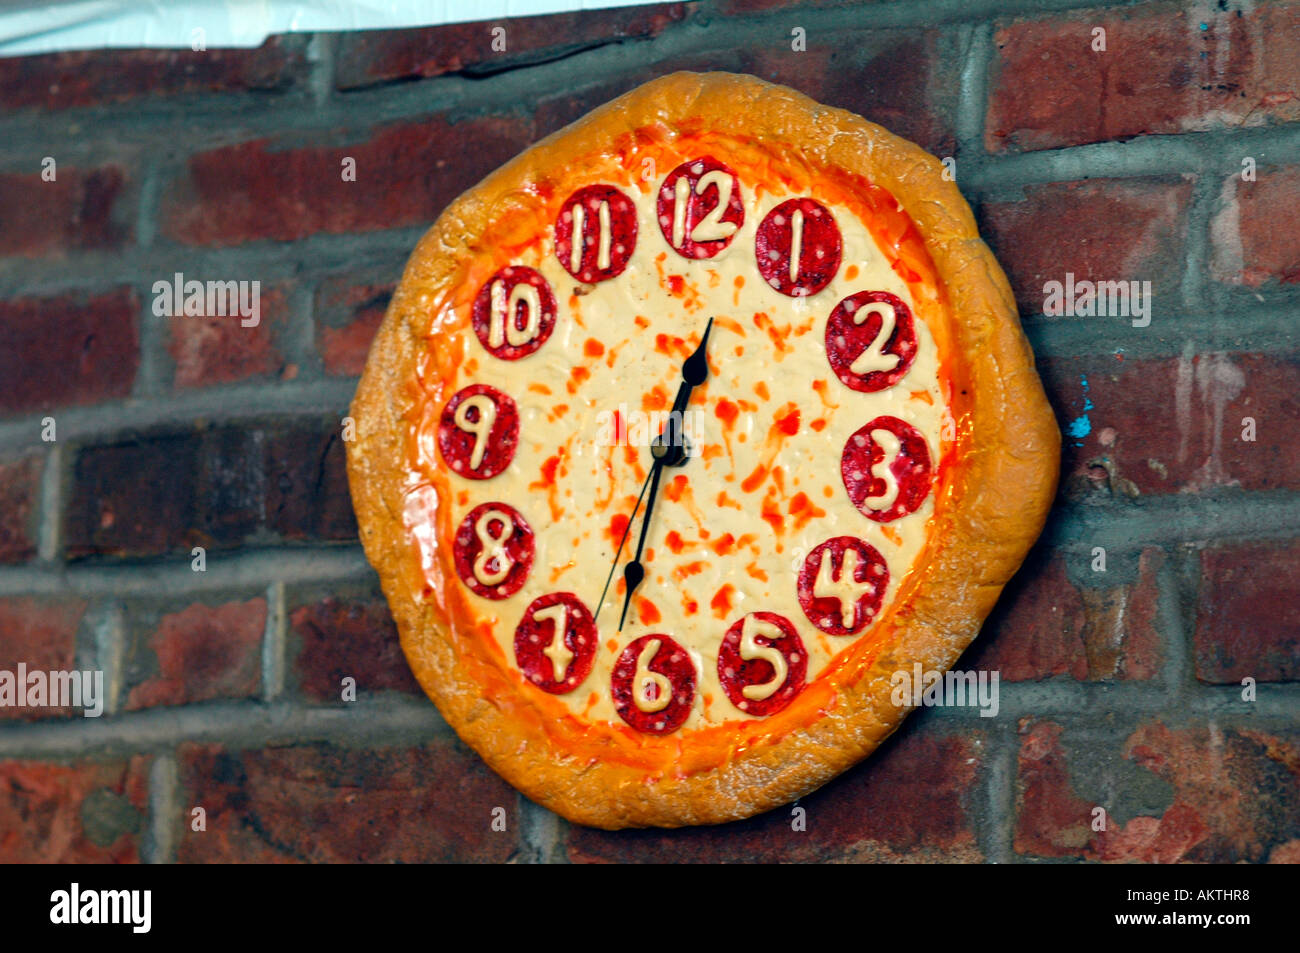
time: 12:32
